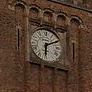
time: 6:10
